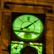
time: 8:07
